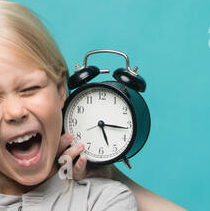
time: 5:16
